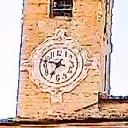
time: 6:47
